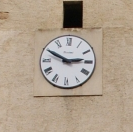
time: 2:49
